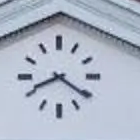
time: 8:20
